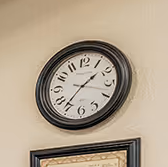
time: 1:36
